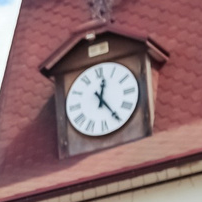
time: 12:24
